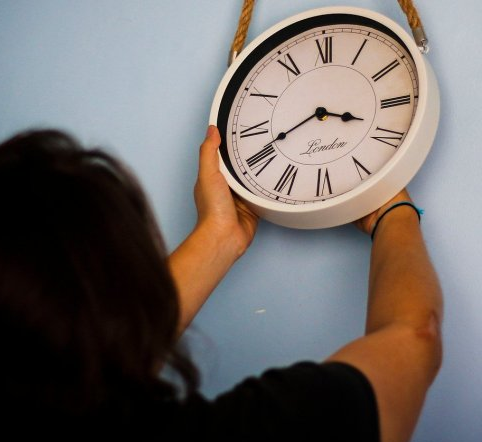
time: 3:40
